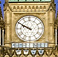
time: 9:50
